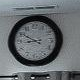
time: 8:50
